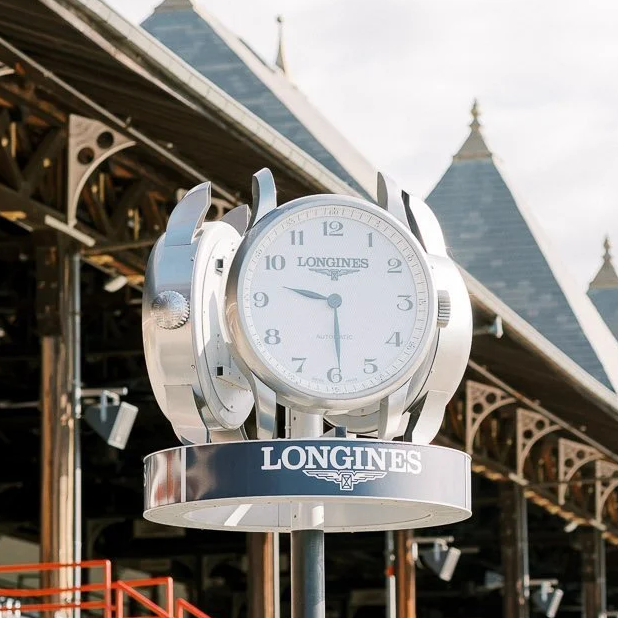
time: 9:29
